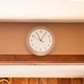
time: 11:04
